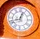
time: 12:42
